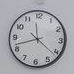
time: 11:42
